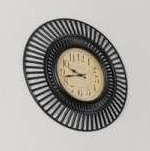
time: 9:42
